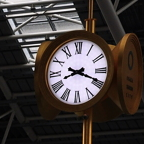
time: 8:18
